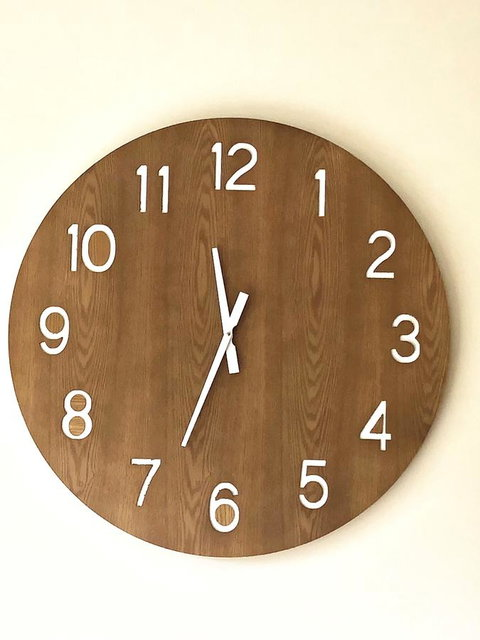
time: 11:33
